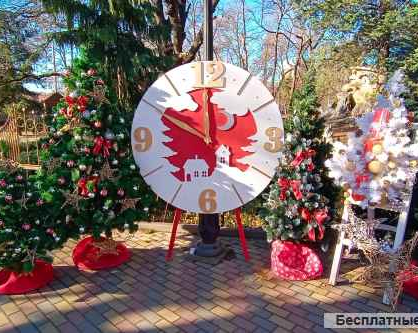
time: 11:49
